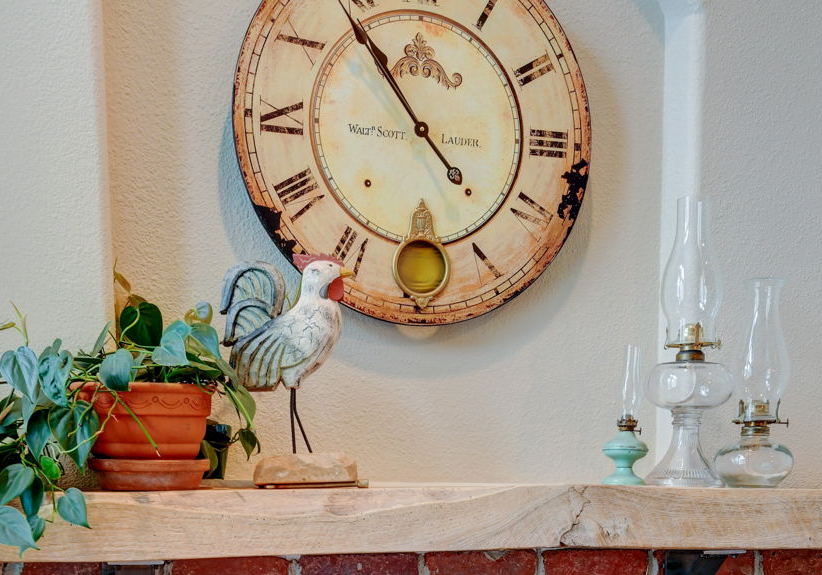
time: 4:53
